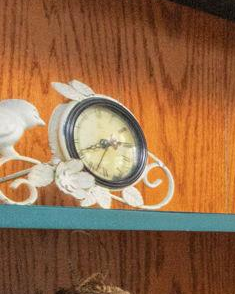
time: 2:40
